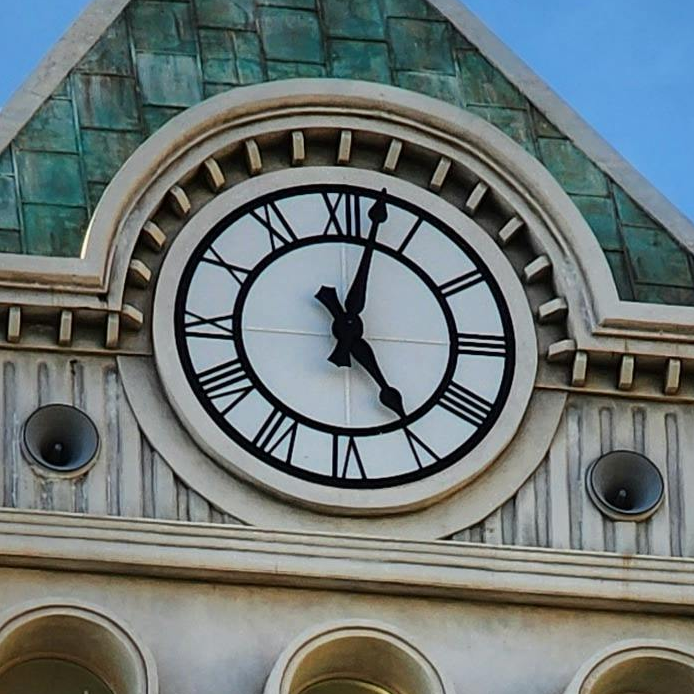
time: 5:02
